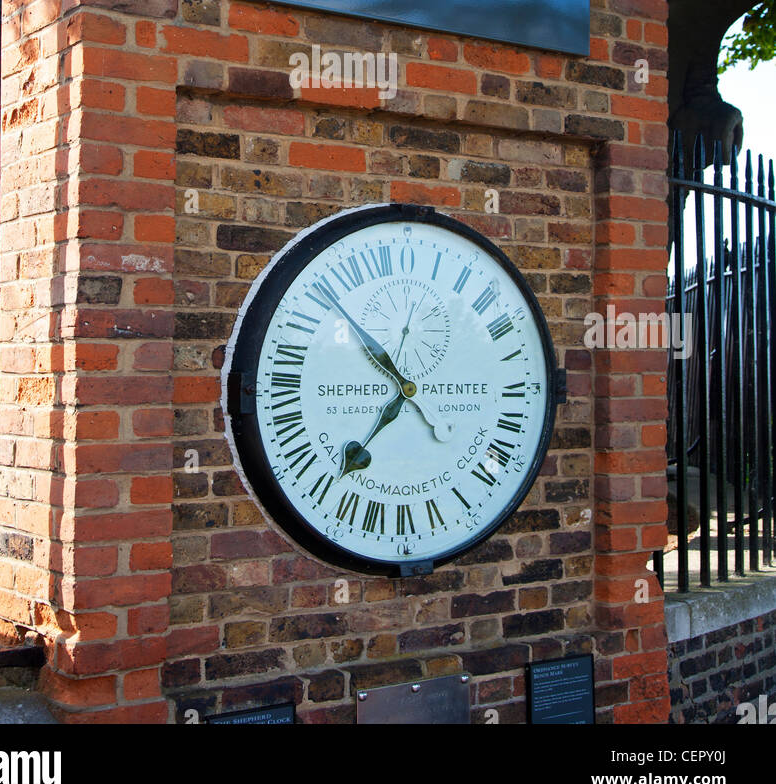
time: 6:51
